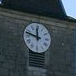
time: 11:47
